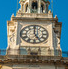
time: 4:59
